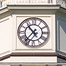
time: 10:36
